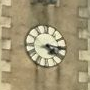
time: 4:15
